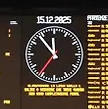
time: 11:53
